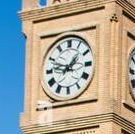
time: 1:47
